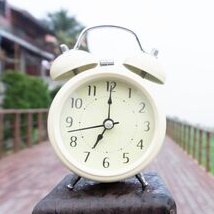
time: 7:00
